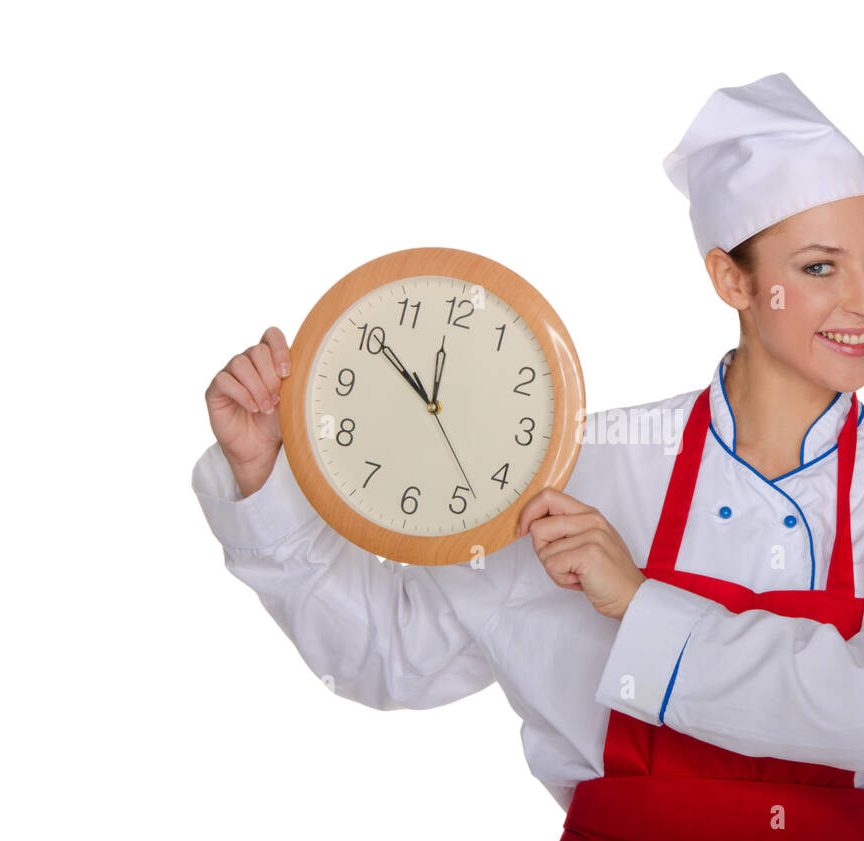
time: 11:50
